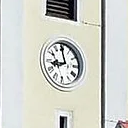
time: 8:58
